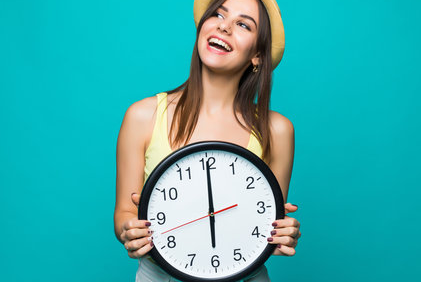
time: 5:59
